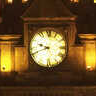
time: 9:41
